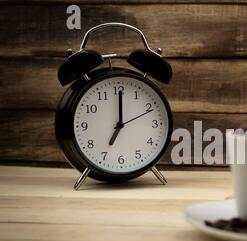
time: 7:00
